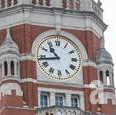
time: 10:43
